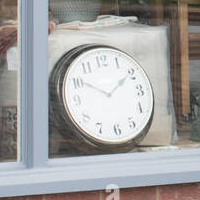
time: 1:50
